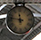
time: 11:46
